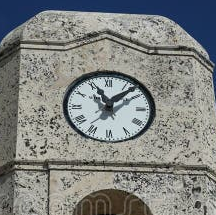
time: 11:07
